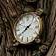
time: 1:39
